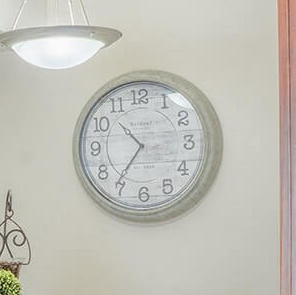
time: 10:36
